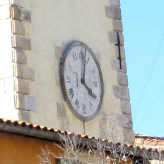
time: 4:02
